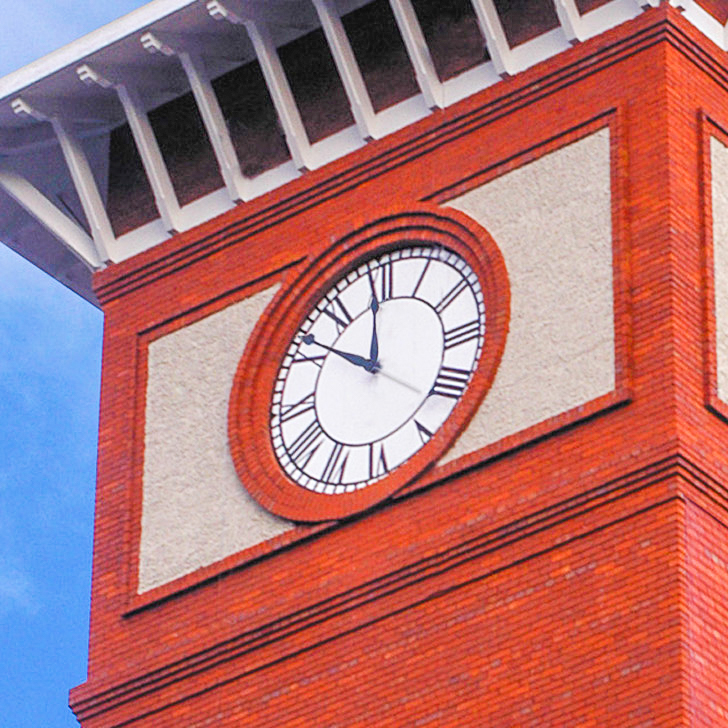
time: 11:51
